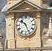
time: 10:26
